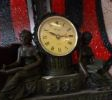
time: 10:14
